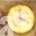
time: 3:58
